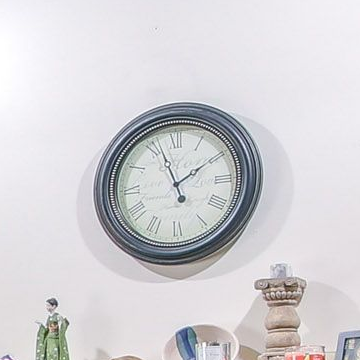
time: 1:56
